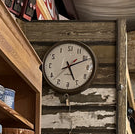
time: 5:11
